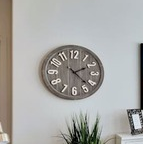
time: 2:21
